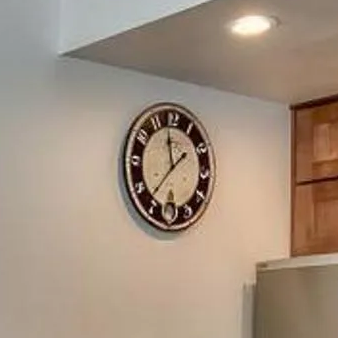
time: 11:36
